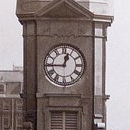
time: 12:44
